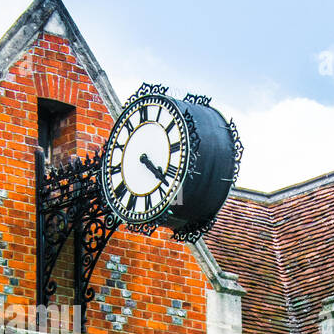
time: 4:22
